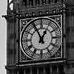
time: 12:55
